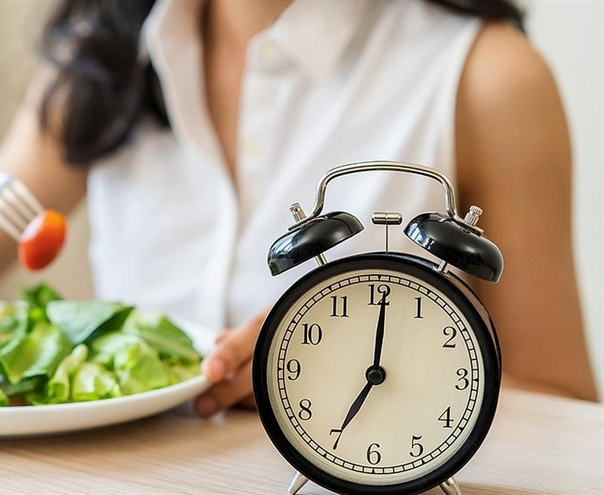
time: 7:00
